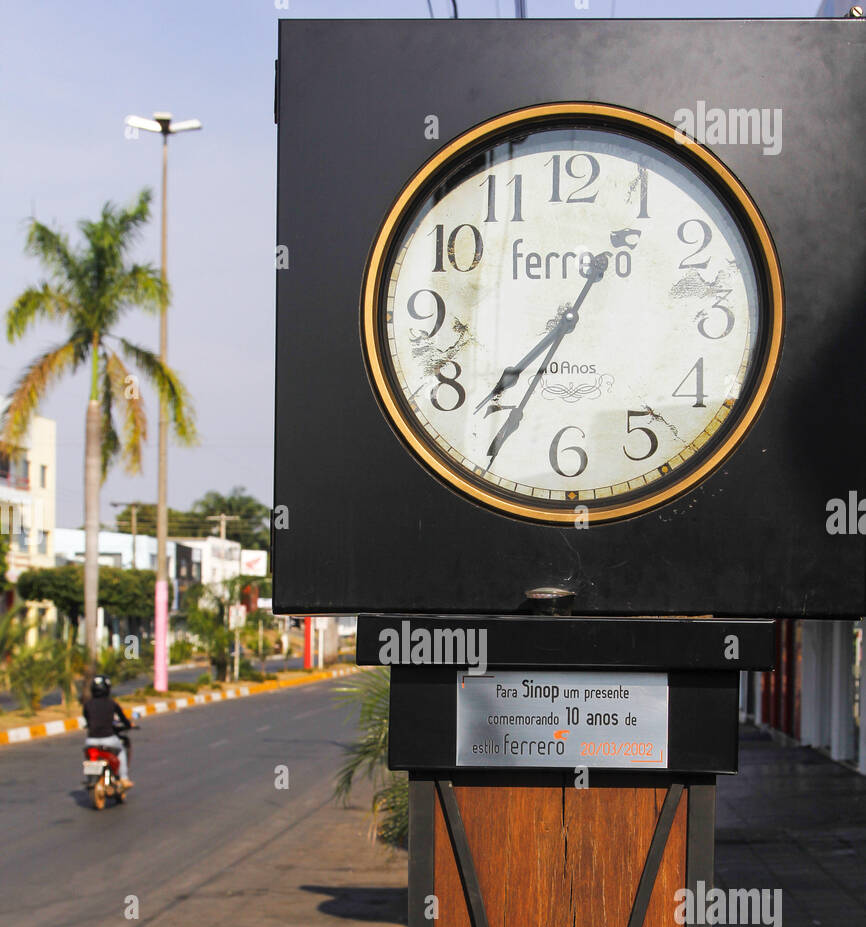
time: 7:34
